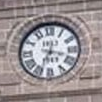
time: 3:33
